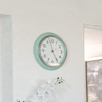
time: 4:57
